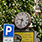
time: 9:33
